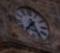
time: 7:25
